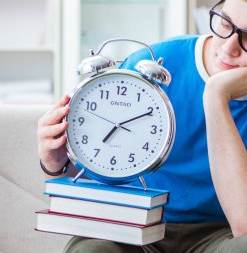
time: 7:10
